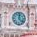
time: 12:22
